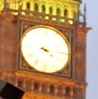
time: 4:14
